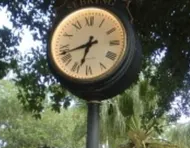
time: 6:42
